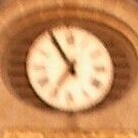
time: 6:54
